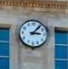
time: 3:06
